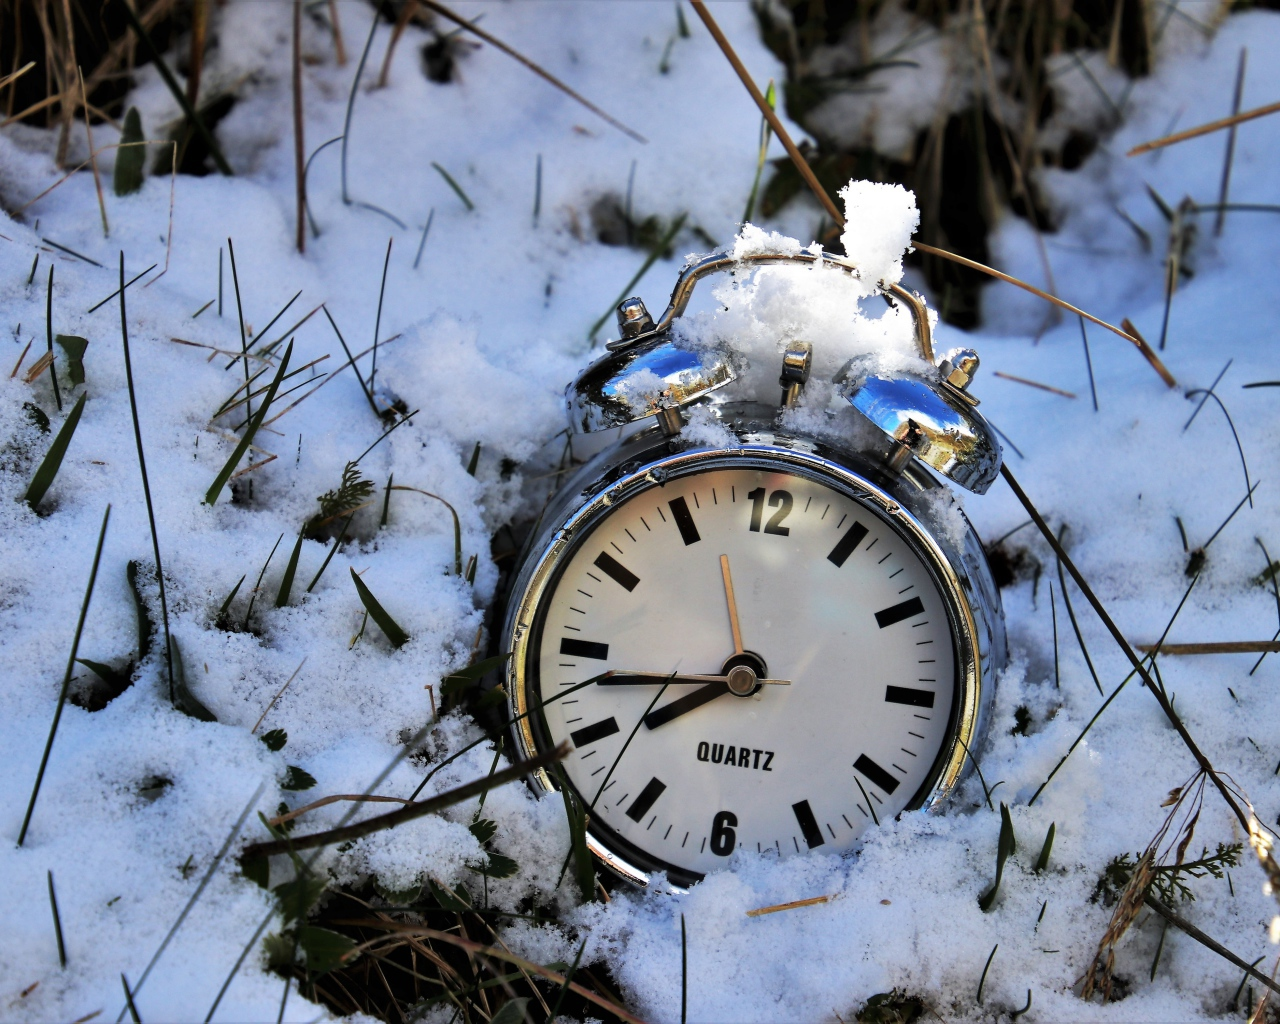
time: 7:43
